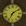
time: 7:09
